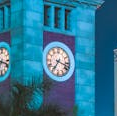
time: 7:17
